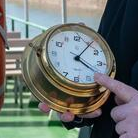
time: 4:05
